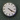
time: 4:20
